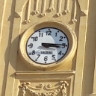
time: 3:14
